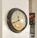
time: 11:40
